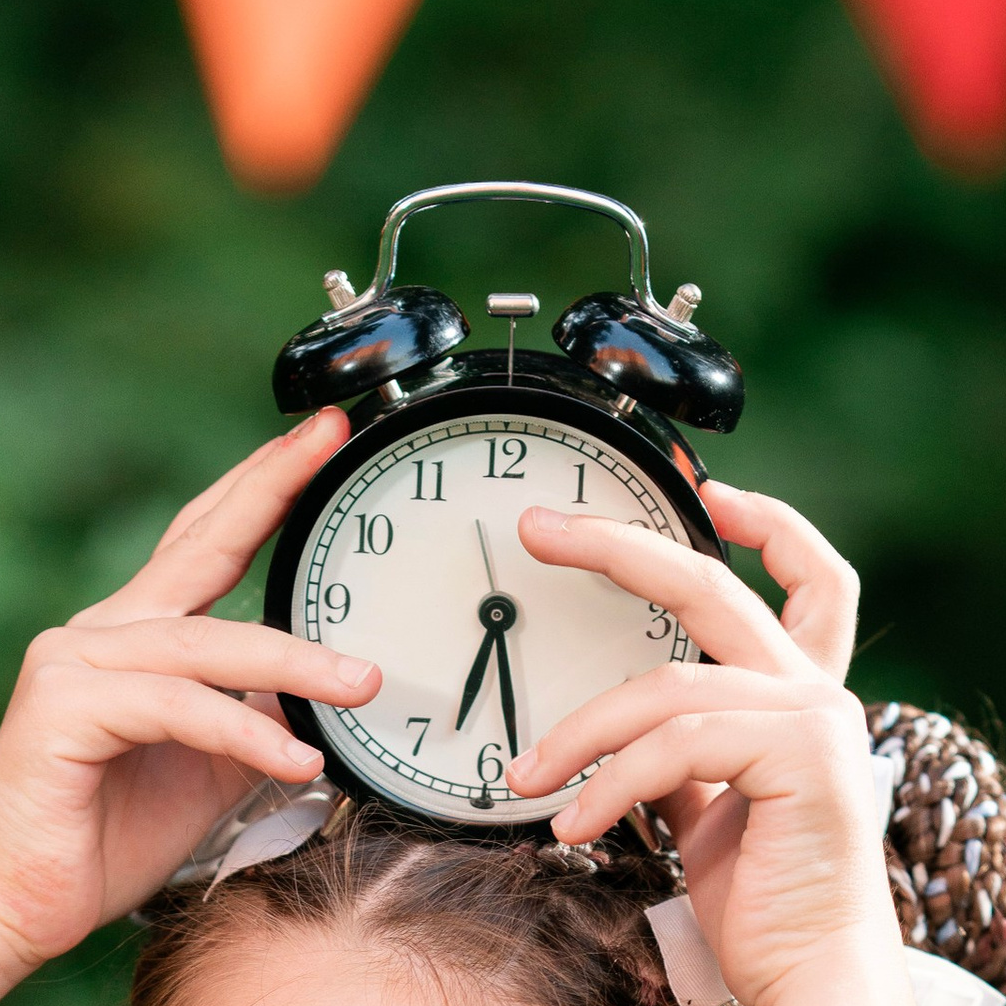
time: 6:28
